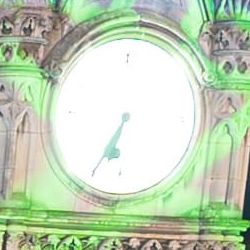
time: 6:34
